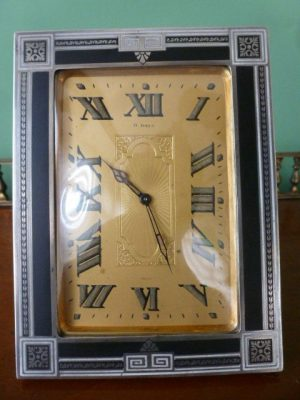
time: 4:50
